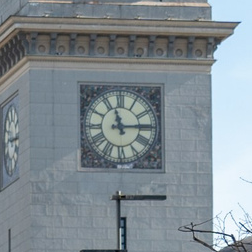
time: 11:14
